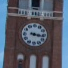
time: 3:16
